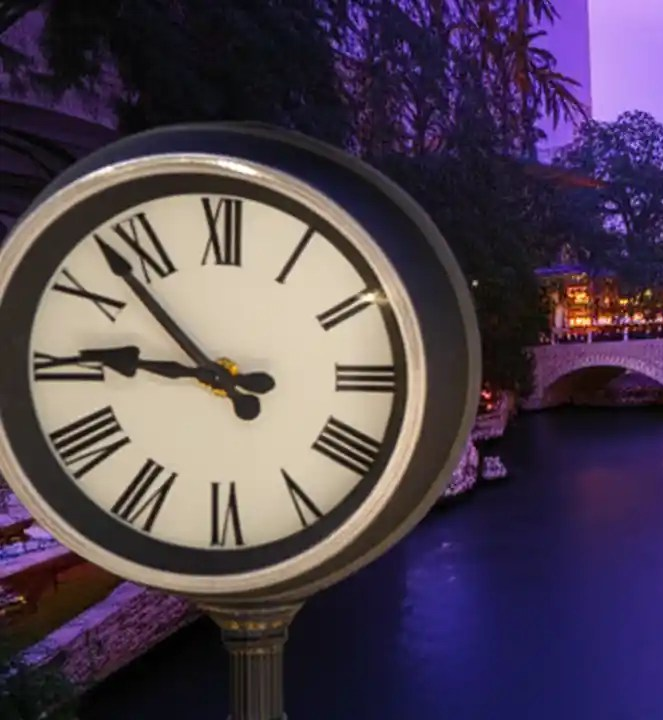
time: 8:52
